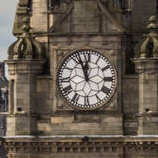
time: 11:56
